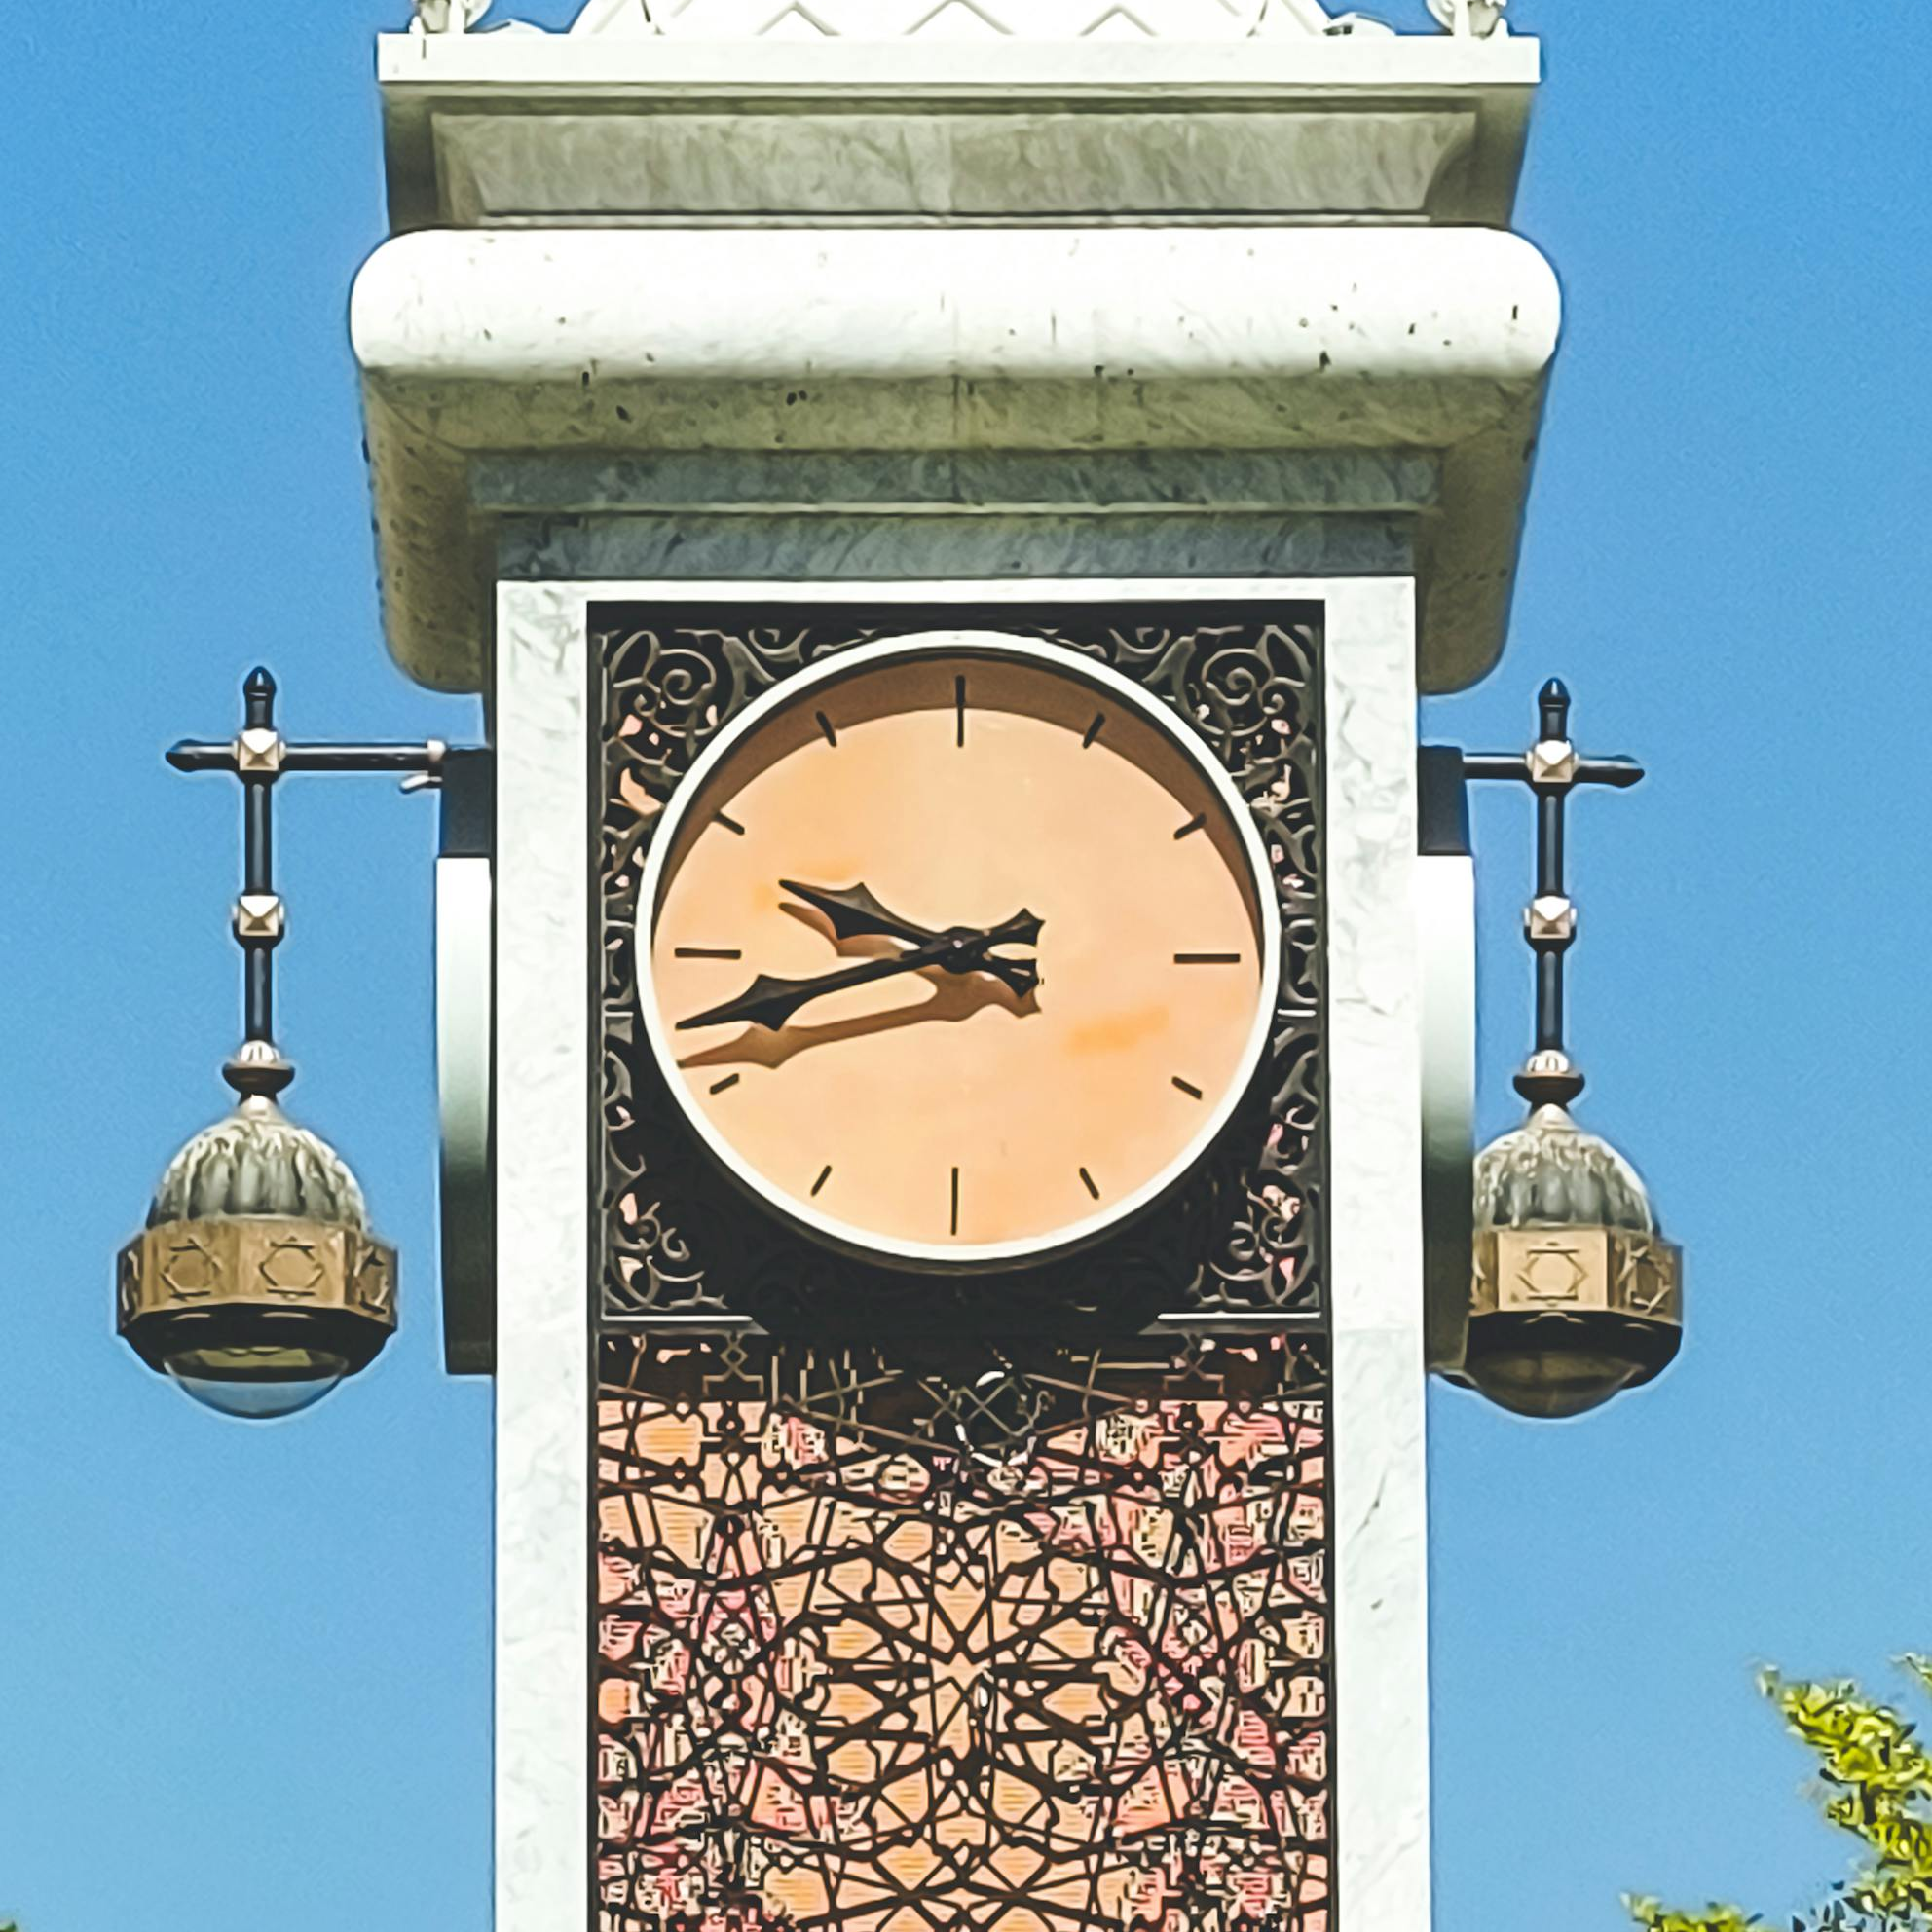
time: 9:42
